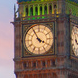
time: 3:54
